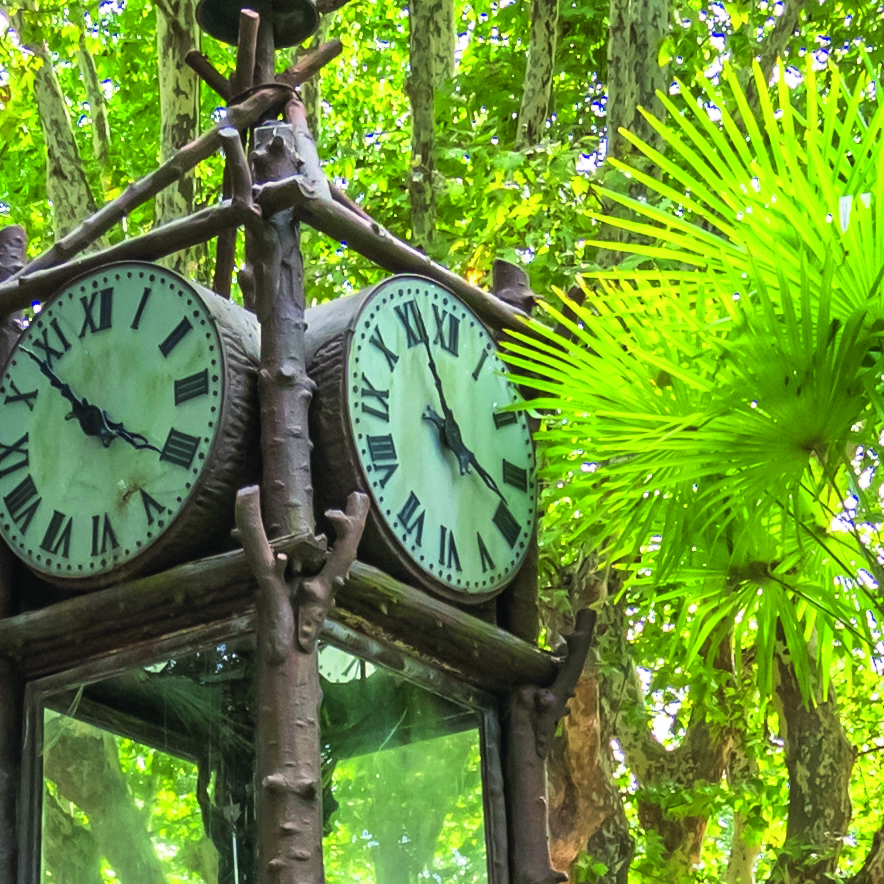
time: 3:56
